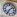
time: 7:08
